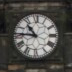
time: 10:45
